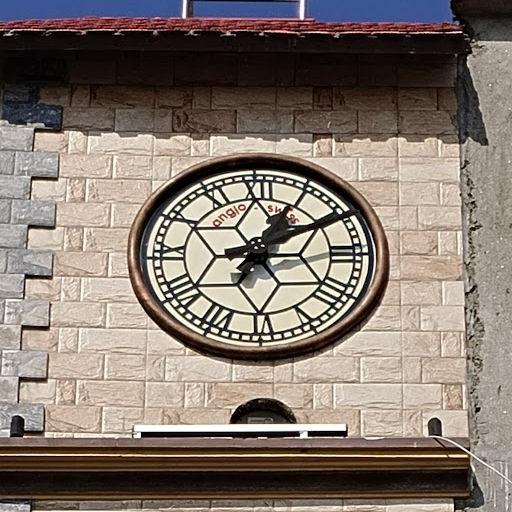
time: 1:10
